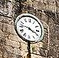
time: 3:46
